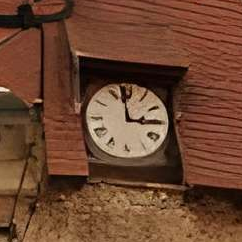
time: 2:58
